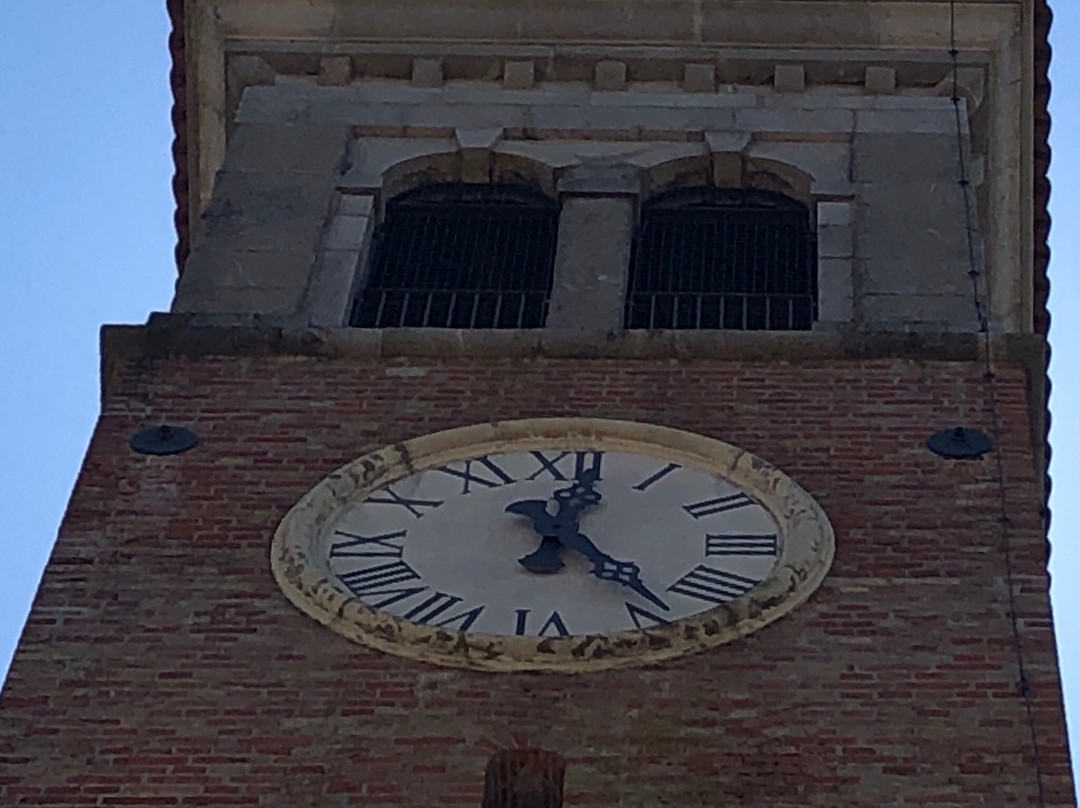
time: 12:23
